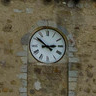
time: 2:51
